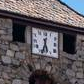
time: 5:32
